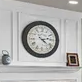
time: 4:12
